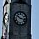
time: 10:17
